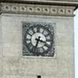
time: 3:33
